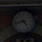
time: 4:42
